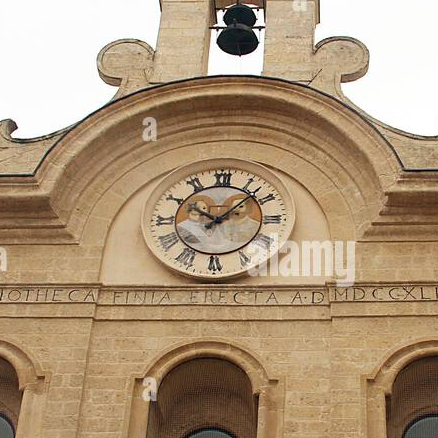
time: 10:07
